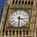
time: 3:29
